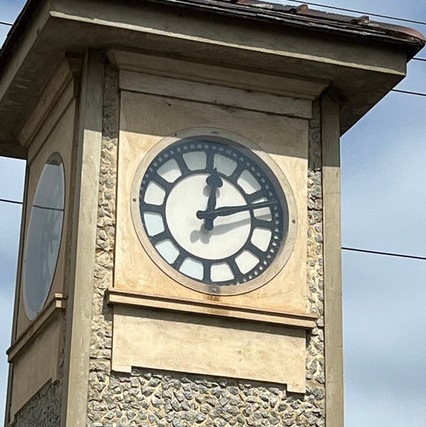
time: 12:12
